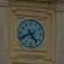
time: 4:40
